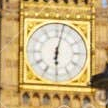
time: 6:02
